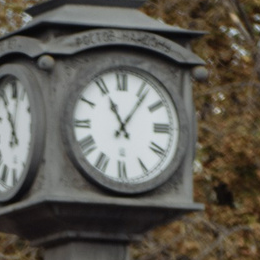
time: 11:06
